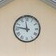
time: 11:46
